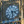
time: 3:28
